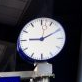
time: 9:10
